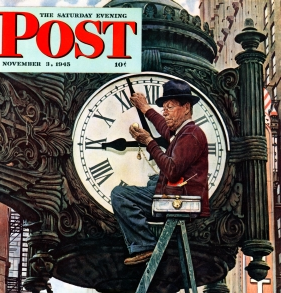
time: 8:56
